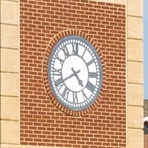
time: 4:40
